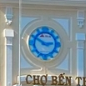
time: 2:50
